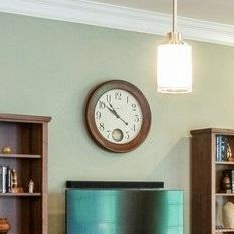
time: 10:50
